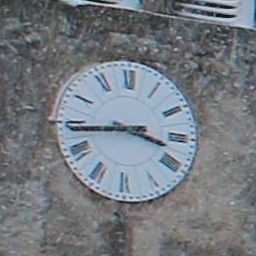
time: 3:43
